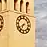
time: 6:39
